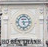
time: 5:14
